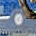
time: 7:17
